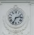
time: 2:34
